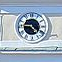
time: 4:45
